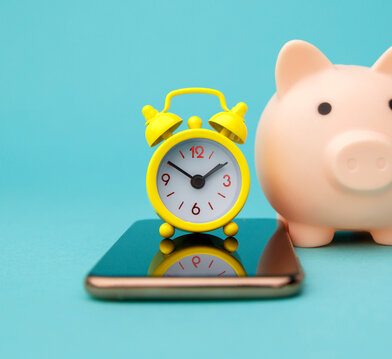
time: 1:50
